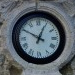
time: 12:49
